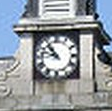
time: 10:47
